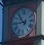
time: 10:43
